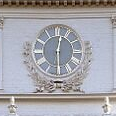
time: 12:29
